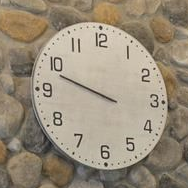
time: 9:48
